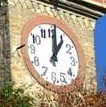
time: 1:00
